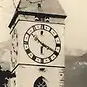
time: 10:19
